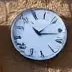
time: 11:16
